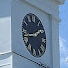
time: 1:42
